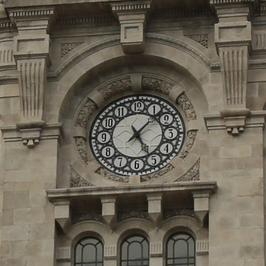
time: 5:07
